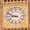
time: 8:48
